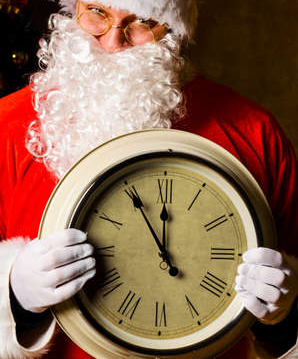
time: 11:54
